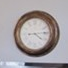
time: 4:14
